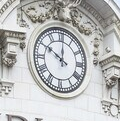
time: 10:00
